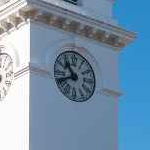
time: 10:40
